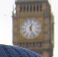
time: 12:26
